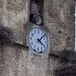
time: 4:07
